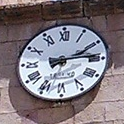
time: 2:14
